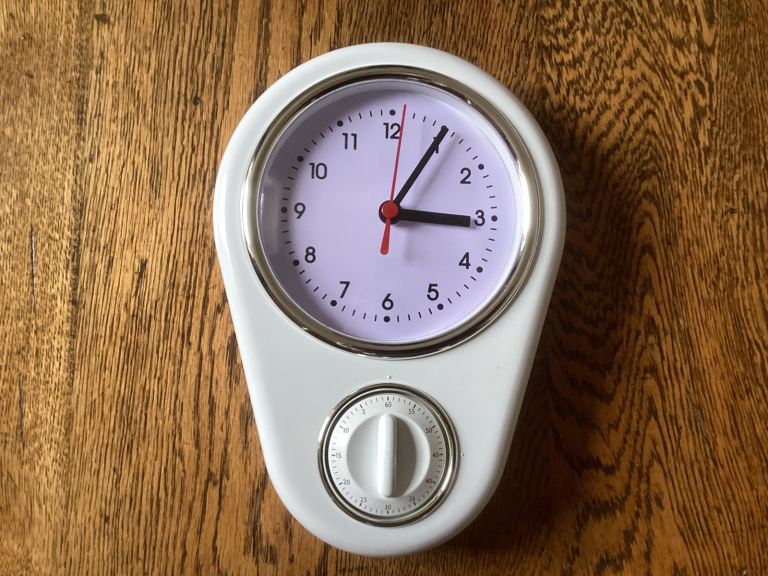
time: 3:05
